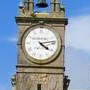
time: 4:13
